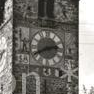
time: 2:40
